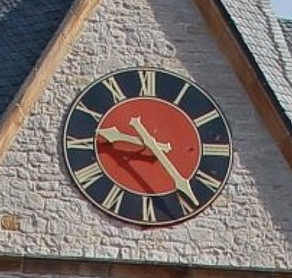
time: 9:23
